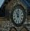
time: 11:02
